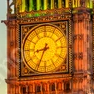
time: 8:34
